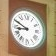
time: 8:49
